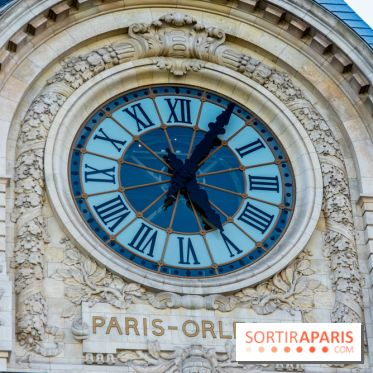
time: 5:05
